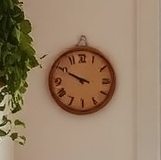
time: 9:49
